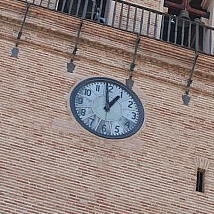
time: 12:59
